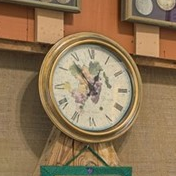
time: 12:53
